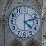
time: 4:12
